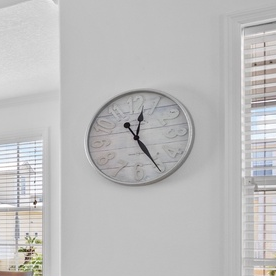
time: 12:25
